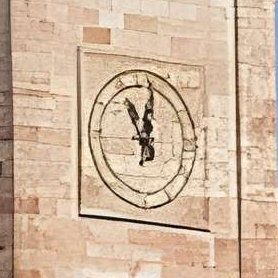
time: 11:02
